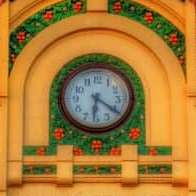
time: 6:20
